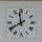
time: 11:40
